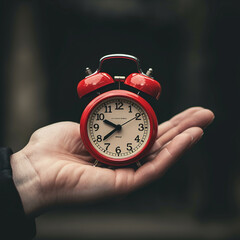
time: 7:49
